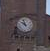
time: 9:57
